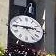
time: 2:45
